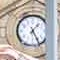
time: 1:24
